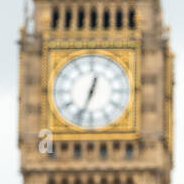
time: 12:33
